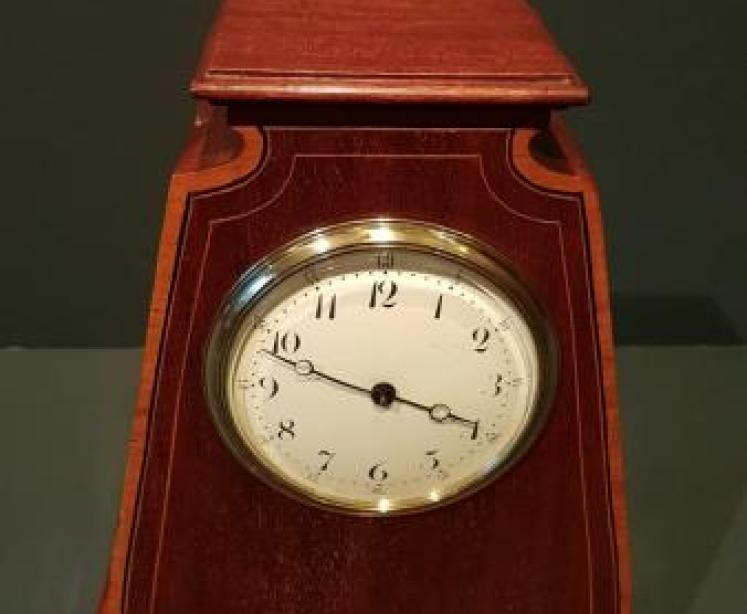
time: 3:48
